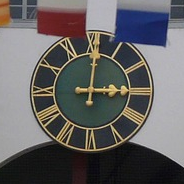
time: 3:00
